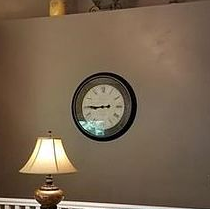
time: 8:45
